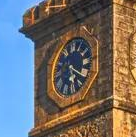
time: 5:20
